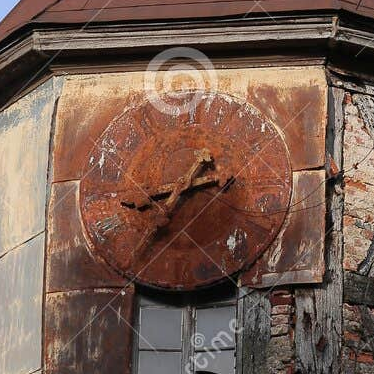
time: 2:35
